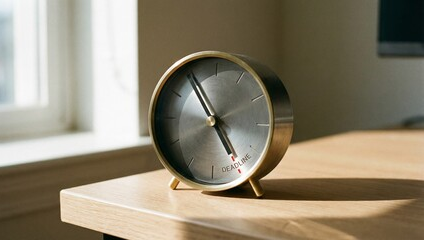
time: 4:54
